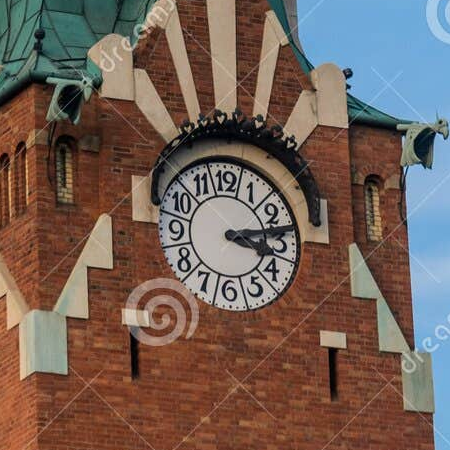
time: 3:13
